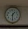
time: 1:30
